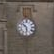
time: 5:51
